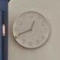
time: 12:41
